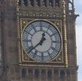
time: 12:38
